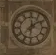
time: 12:08
